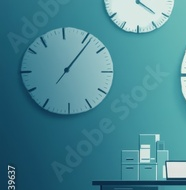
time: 1:06
